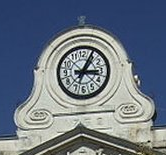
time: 3:04
